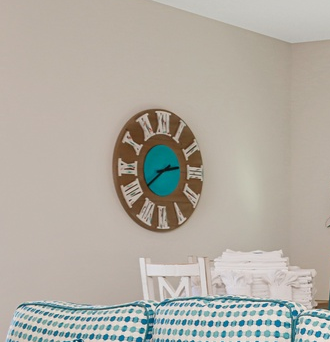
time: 2:39
